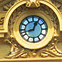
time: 12:42
